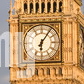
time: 6:06
